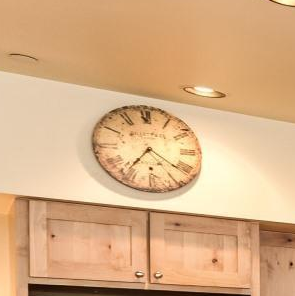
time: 7:21
